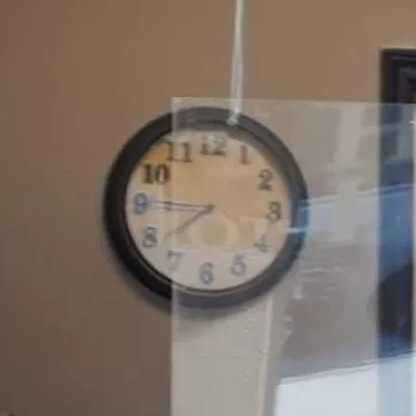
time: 7:45
